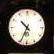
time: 10:34
